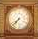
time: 7:37
